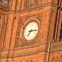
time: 7:15
